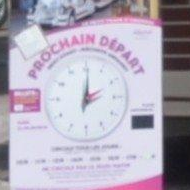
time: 2:00
